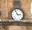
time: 2:56
